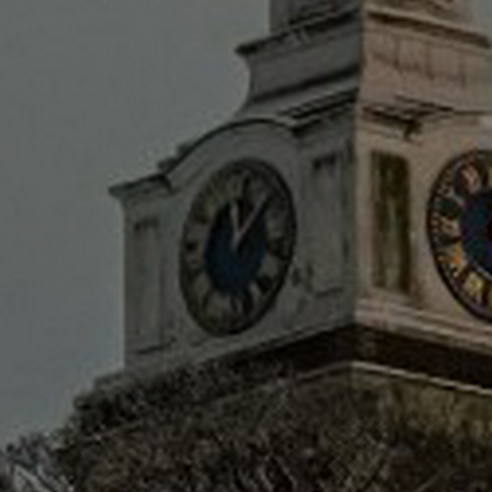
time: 12:07
